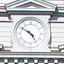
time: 4:50
